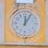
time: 12:05
